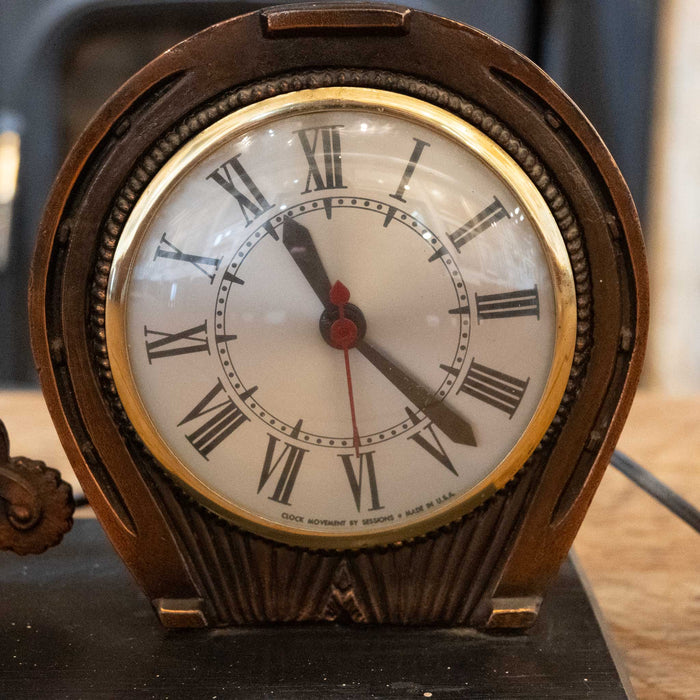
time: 11:23
